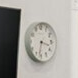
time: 3:32
